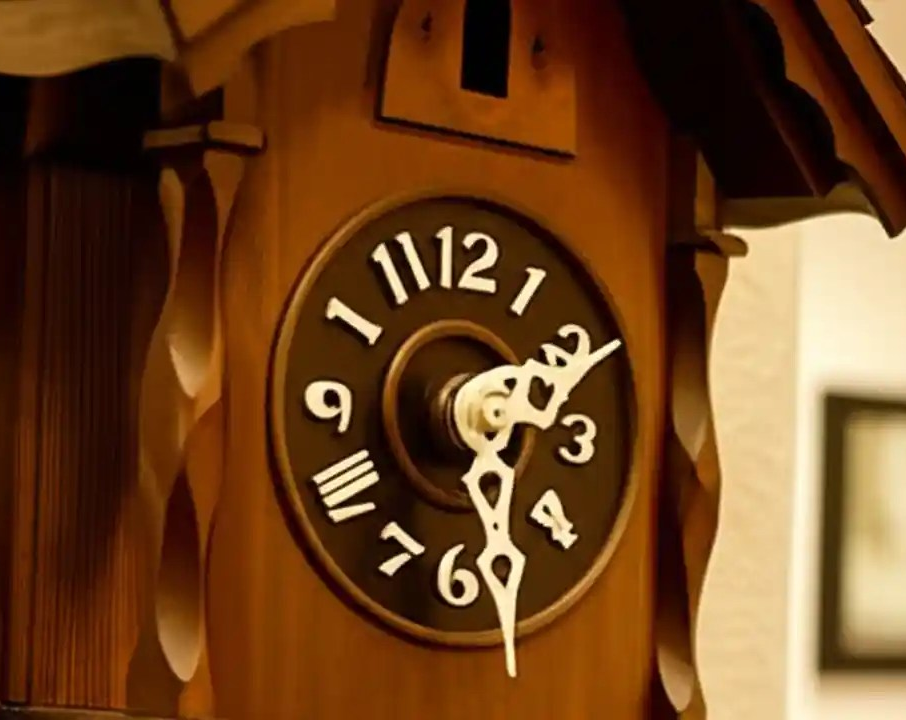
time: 5:10
